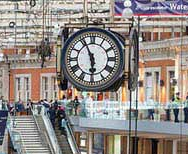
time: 5:55
